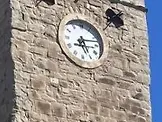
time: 5:12
